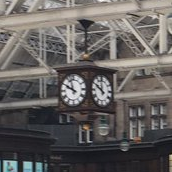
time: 11:50
